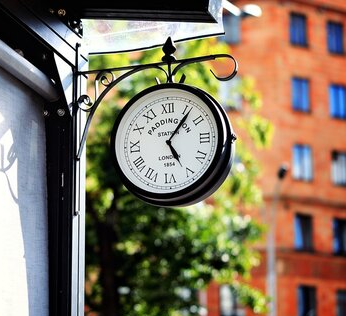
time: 5:06
